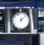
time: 12:07
